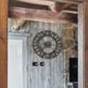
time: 8:38
